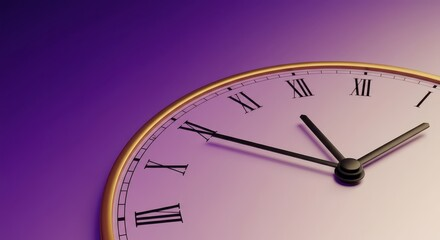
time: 10:49
